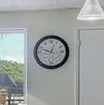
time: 12:48
